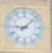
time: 9:07
